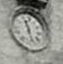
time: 11:28
